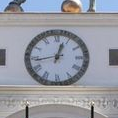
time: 12:43
